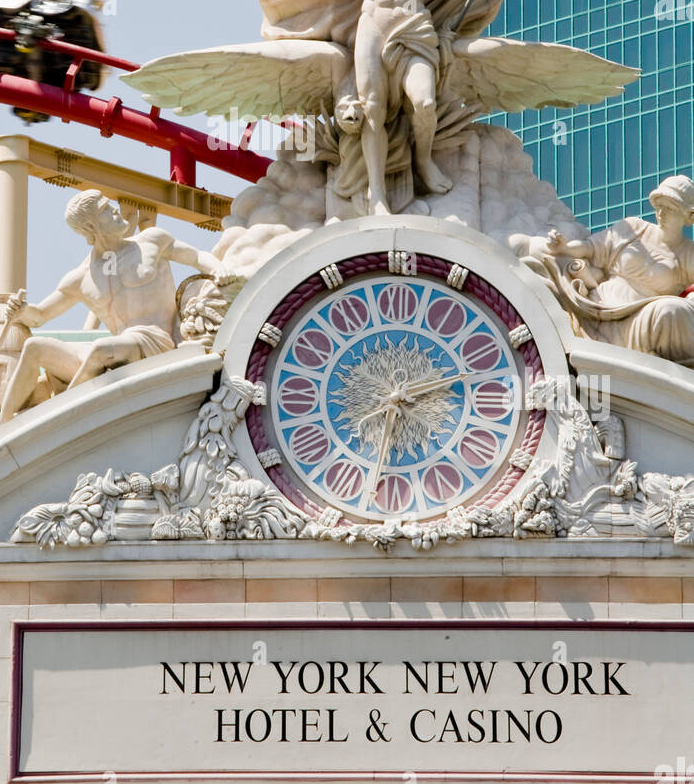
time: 6:11
